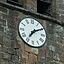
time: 7:09
